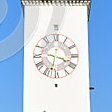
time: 3:32
